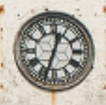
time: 12:33
